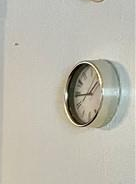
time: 1:44
